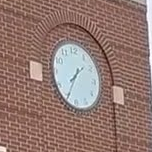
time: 1:34
